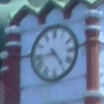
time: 4:42
